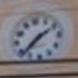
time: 1:37
